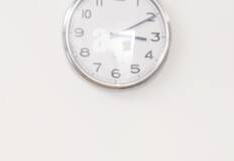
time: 3:10
